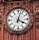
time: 4:02
